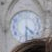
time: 4:31
